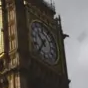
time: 10:36
